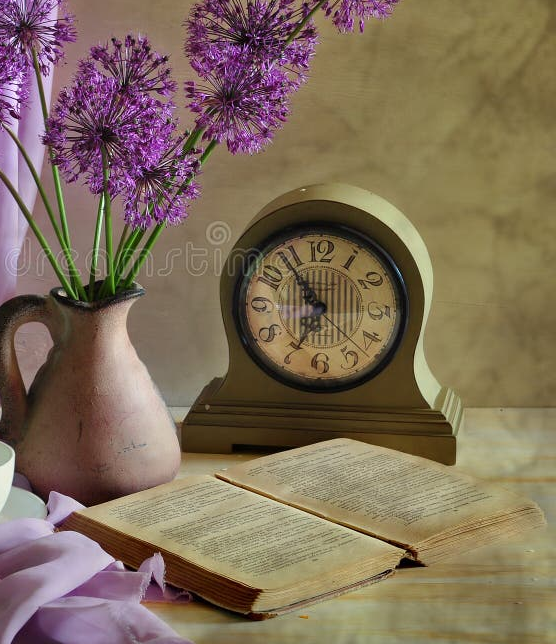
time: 6:54
